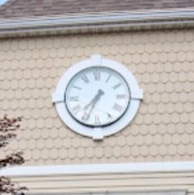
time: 7:34
